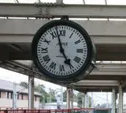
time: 4:57
